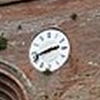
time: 2:42
